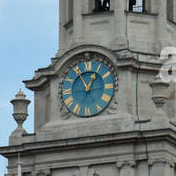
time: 12:55
